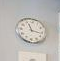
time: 11:16
